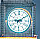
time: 9:09
